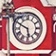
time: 5:49
